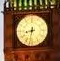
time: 8:32
